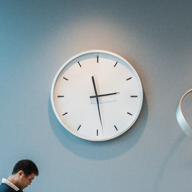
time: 11:28
